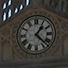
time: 1:22
